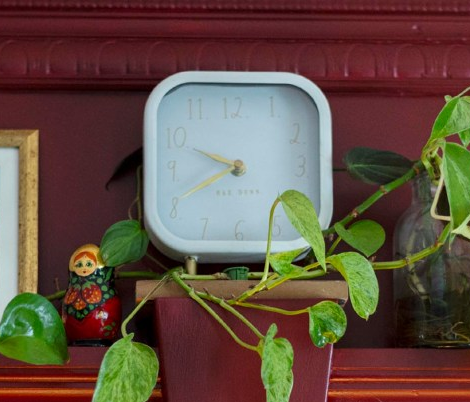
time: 9:41
